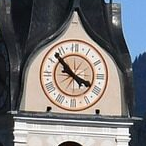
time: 3:52
